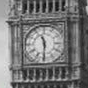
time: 11:30
